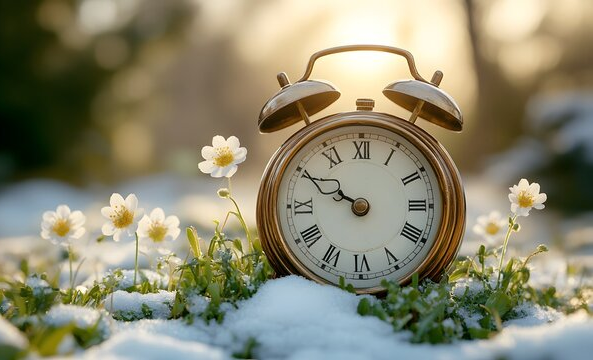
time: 9:50
